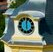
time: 5:59
